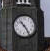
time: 10:24
